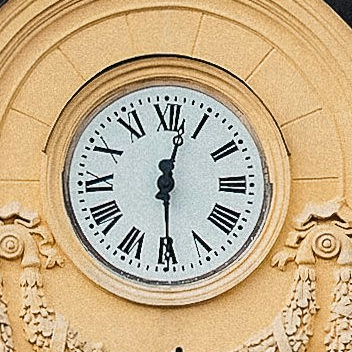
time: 12:29
